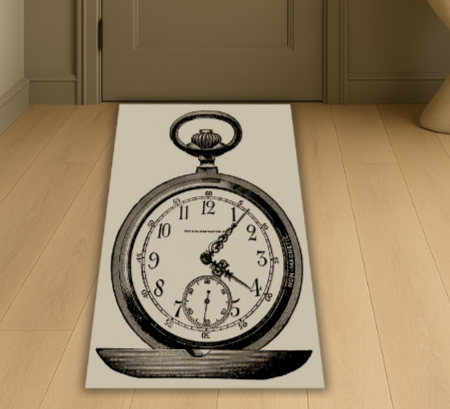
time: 4:06
